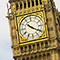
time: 10:20
